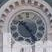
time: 10:24
